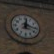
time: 12:16
